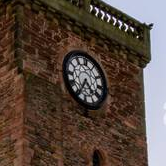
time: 4:35
